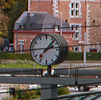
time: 2:06
